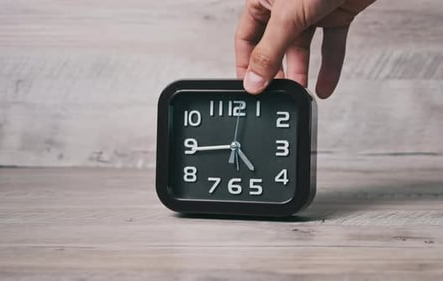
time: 4:44
